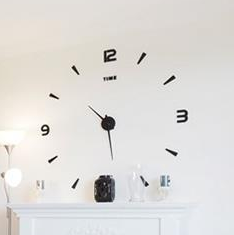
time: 10:28
